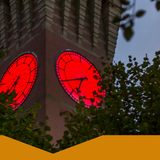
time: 6:40
